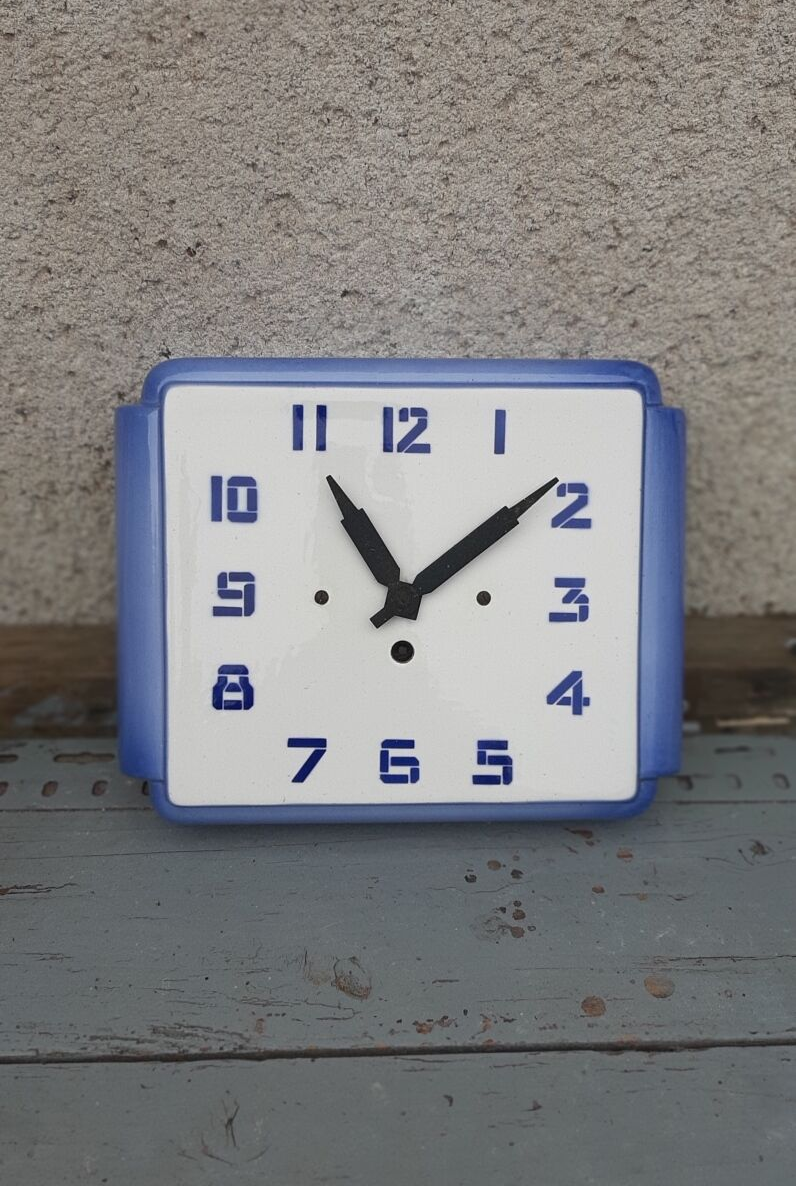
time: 11:08
